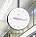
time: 9:16
